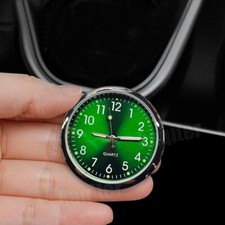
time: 9:14
